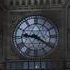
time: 9:20
